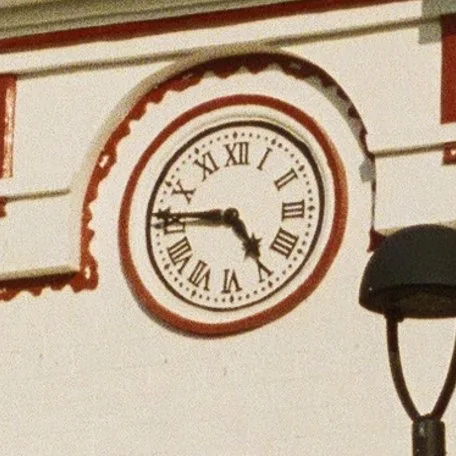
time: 4:45
